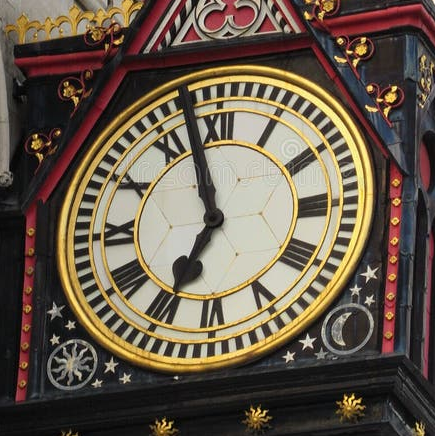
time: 6:57
